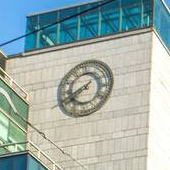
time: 1:40
